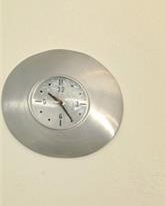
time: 10:24
